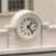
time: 1:23
